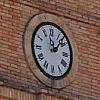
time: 11:07
